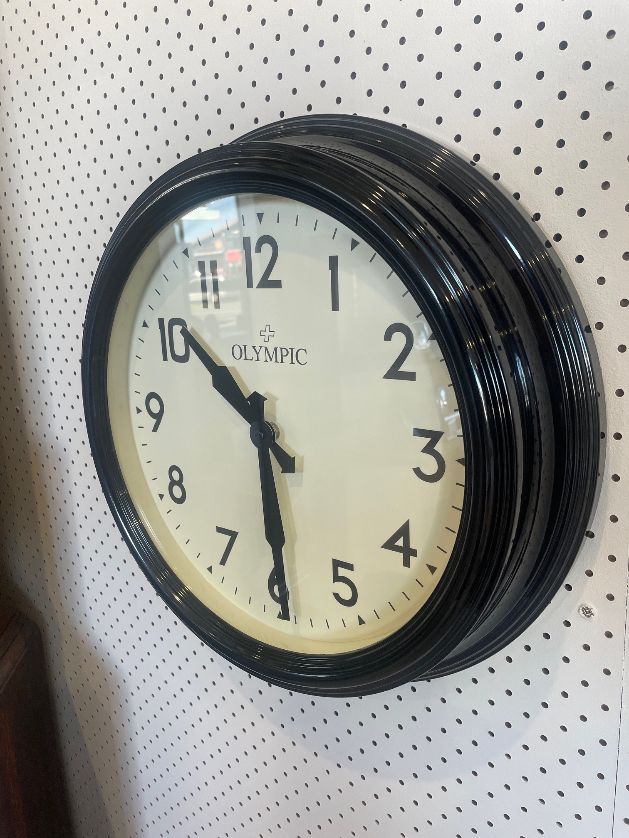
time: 10:29
